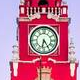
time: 6:24
